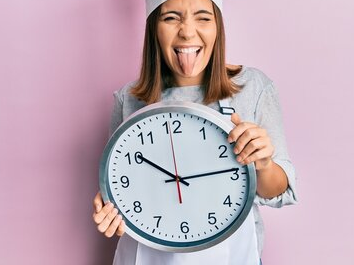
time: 10:13
